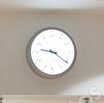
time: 9:20
